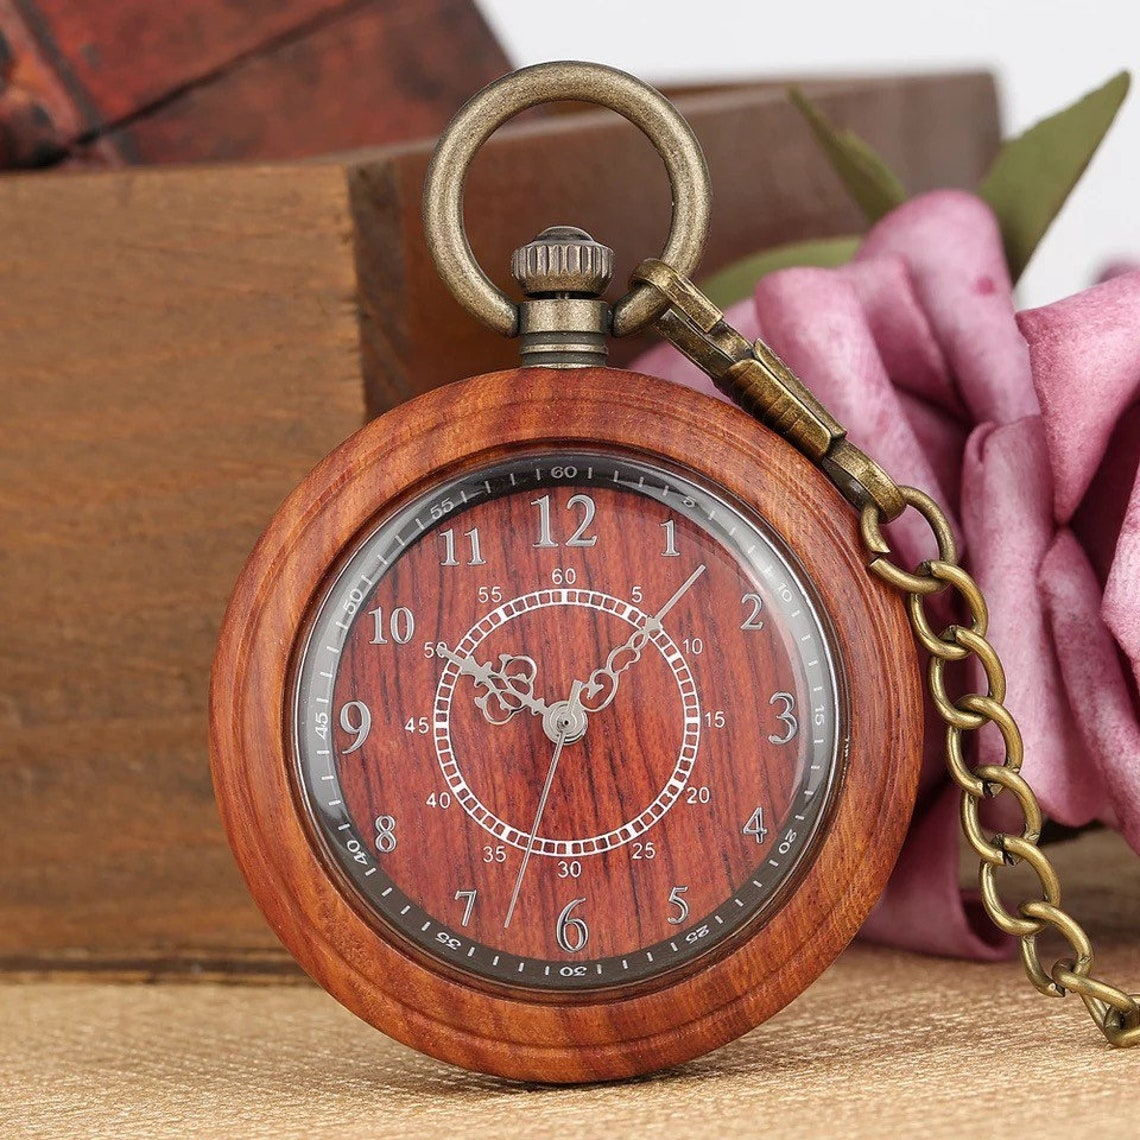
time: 9:50
